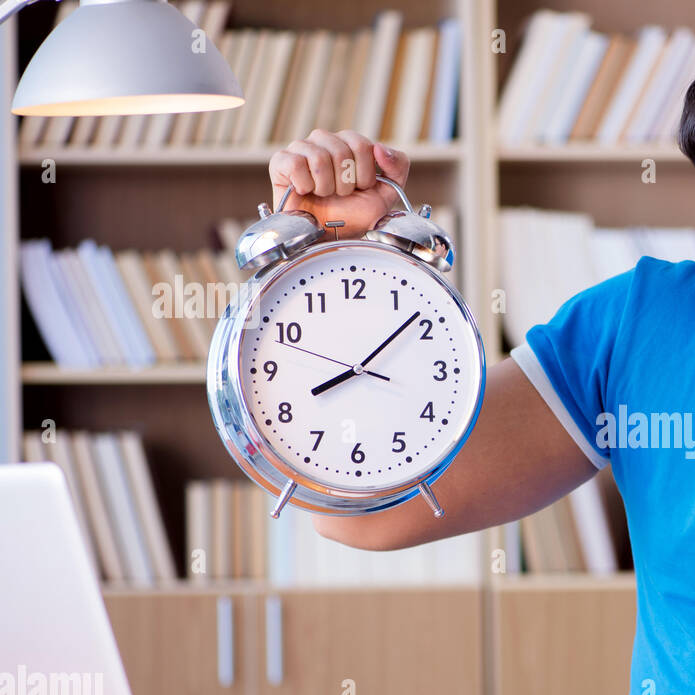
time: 8:08
